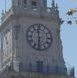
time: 11:31
